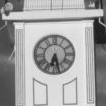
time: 6:28
